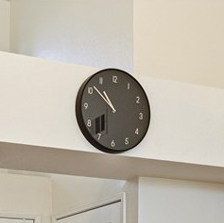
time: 10:51
